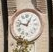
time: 12:47
